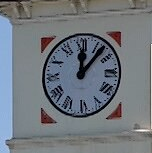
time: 12:07
